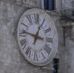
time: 12:46
